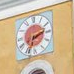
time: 2:33
